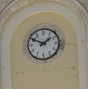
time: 1:49
